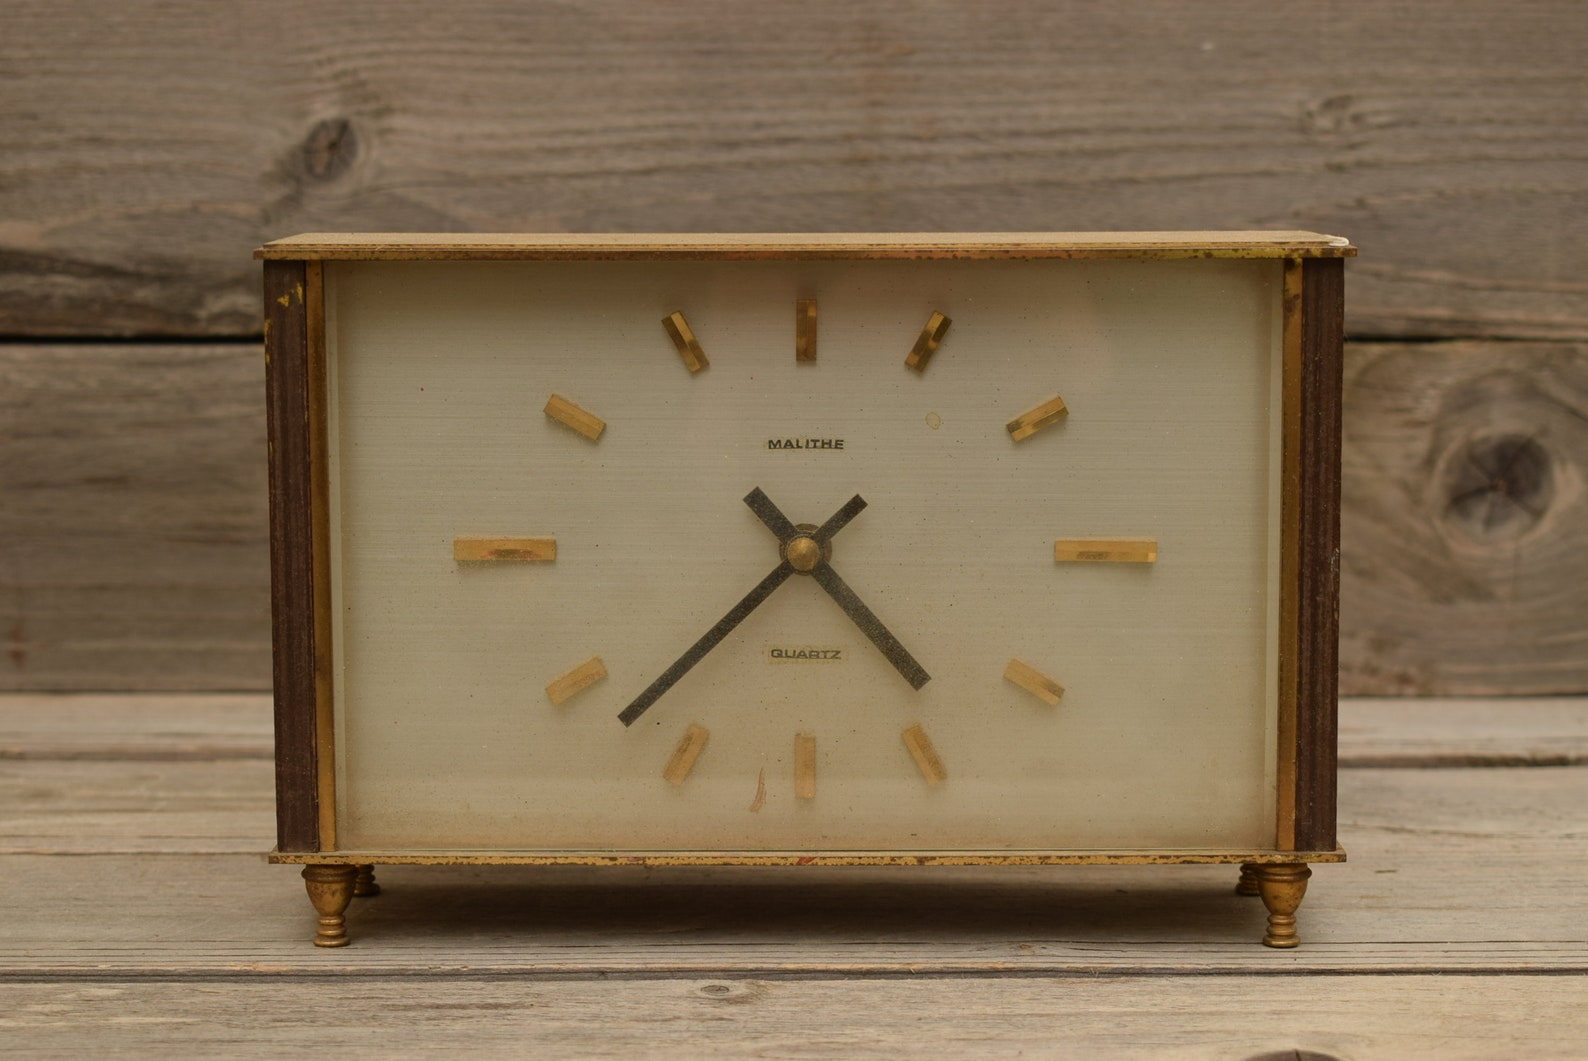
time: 4:37
